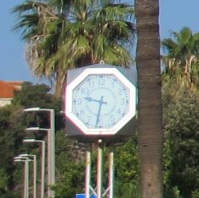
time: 9:31
